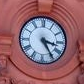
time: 3:24
